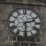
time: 2:29
